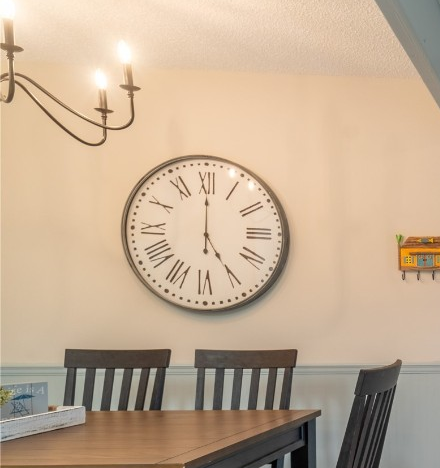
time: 5:00
